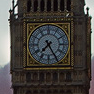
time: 7:25
